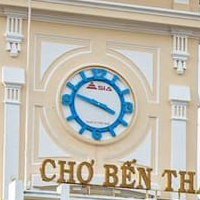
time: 3:48
